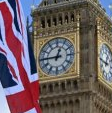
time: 12:45
